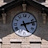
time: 5:12
